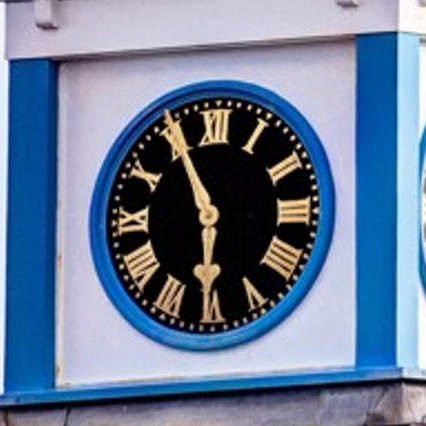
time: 5:55
